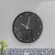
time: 10:02
